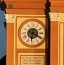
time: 6:19
